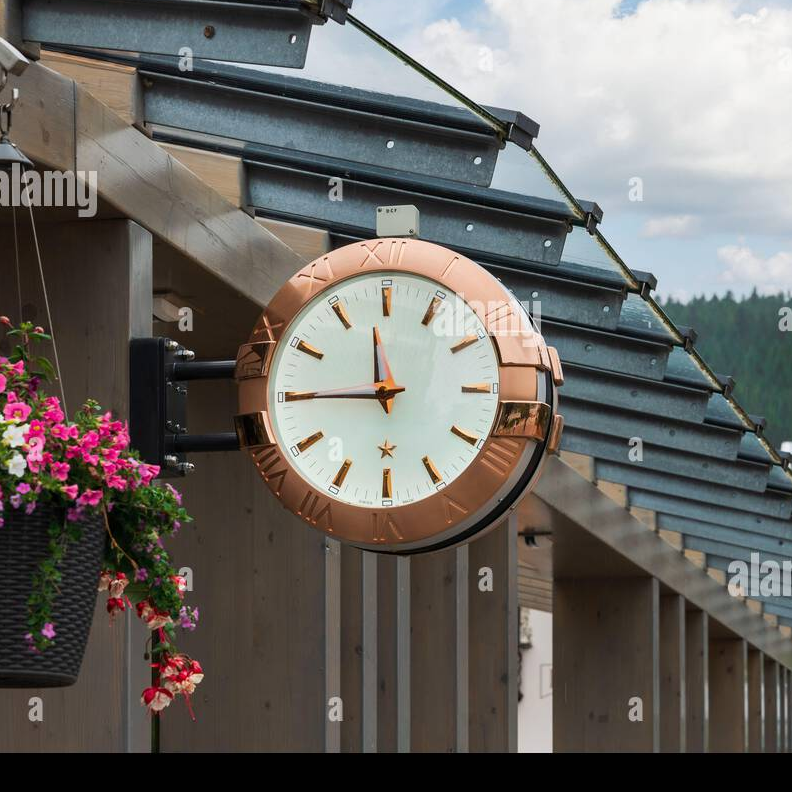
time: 11:44
